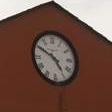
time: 4:50
